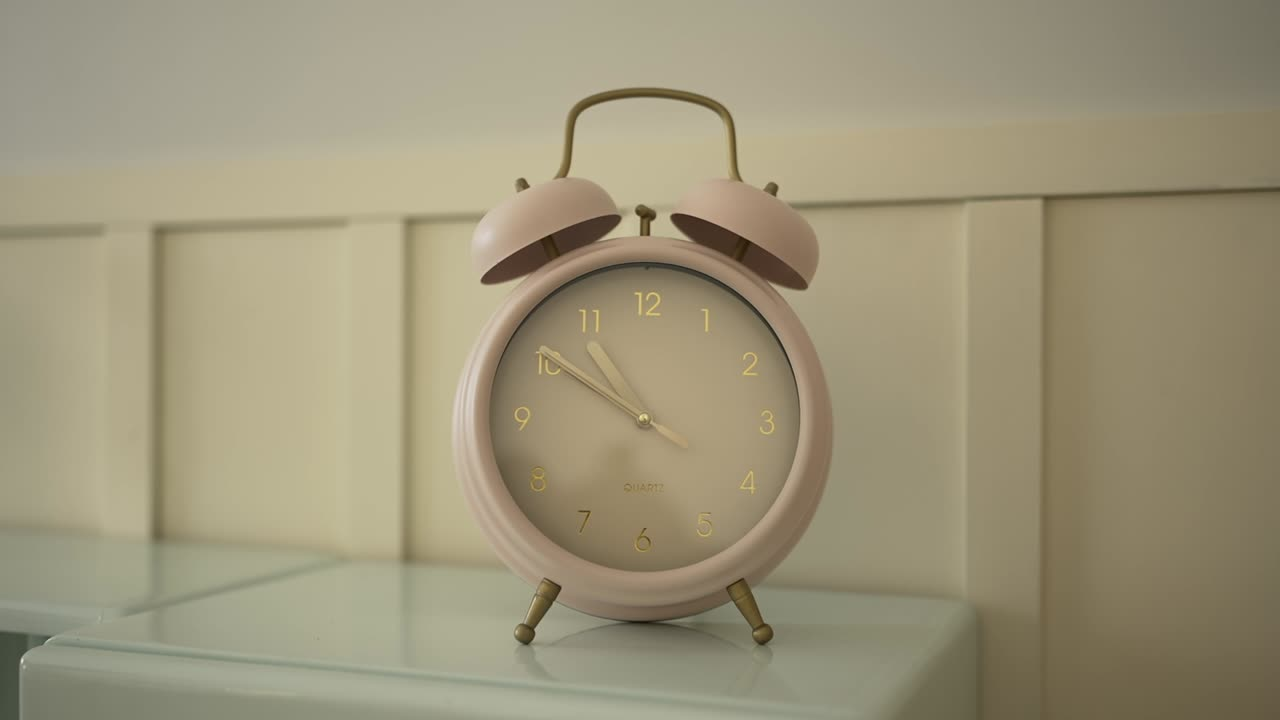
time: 10:50
